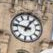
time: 12:46
